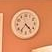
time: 4:36
